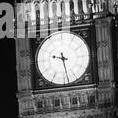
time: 9:28
